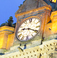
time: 9:20
